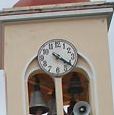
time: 4:20
